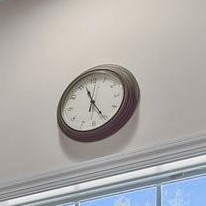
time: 11:25
